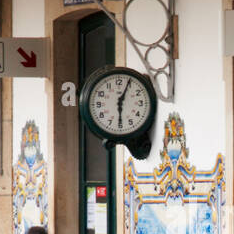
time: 6:04
